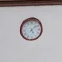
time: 5:08
